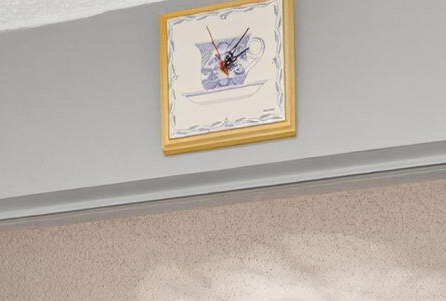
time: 2:06
